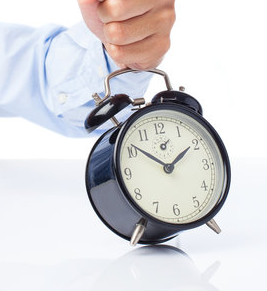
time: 1:51
